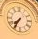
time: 7:35
